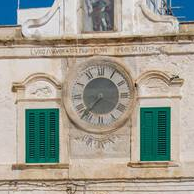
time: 7:37
